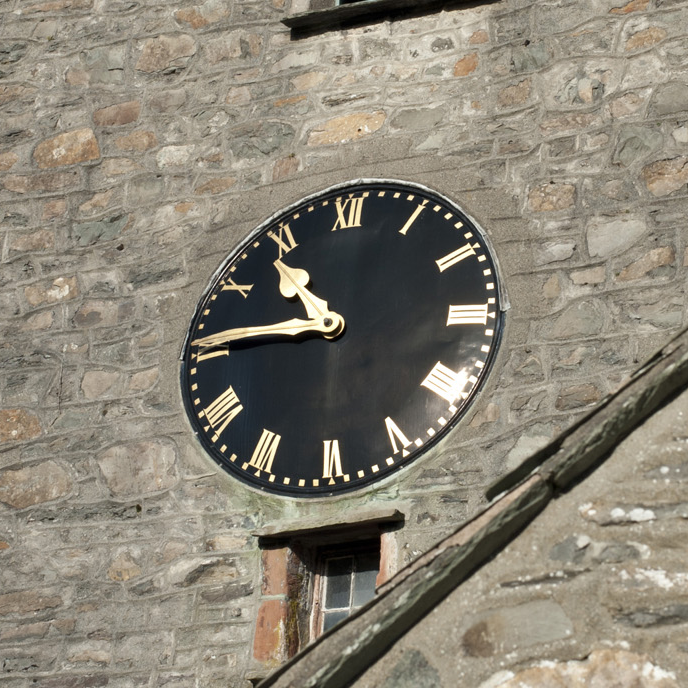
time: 10:45
